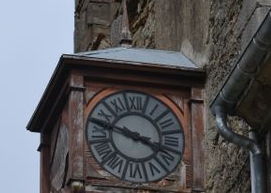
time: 3:47
